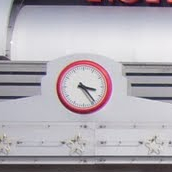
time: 3:23
